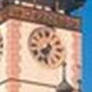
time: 7:32
